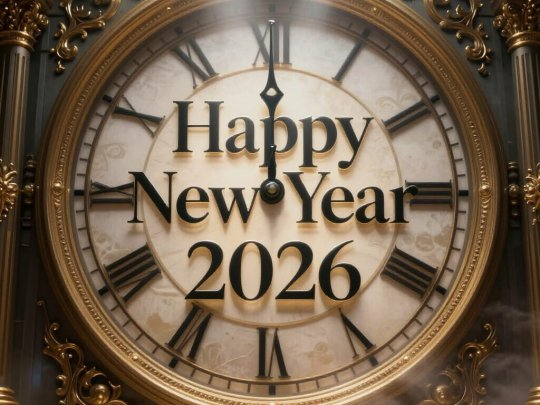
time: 11:59
